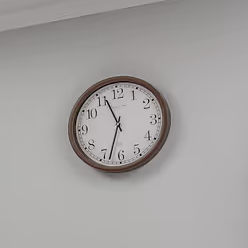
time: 11:32
